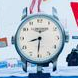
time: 8:30
